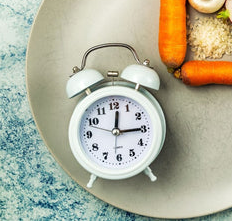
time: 12:14
